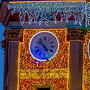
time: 4:52
